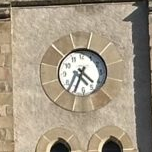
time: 4:34
